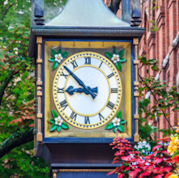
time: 8:52
